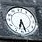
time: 6:27
